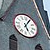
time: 5:05
